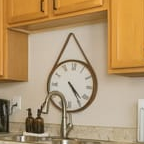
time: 4:23
